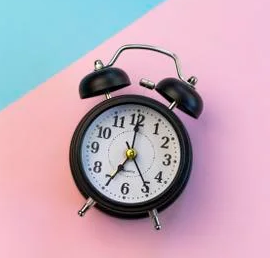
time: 7:00
